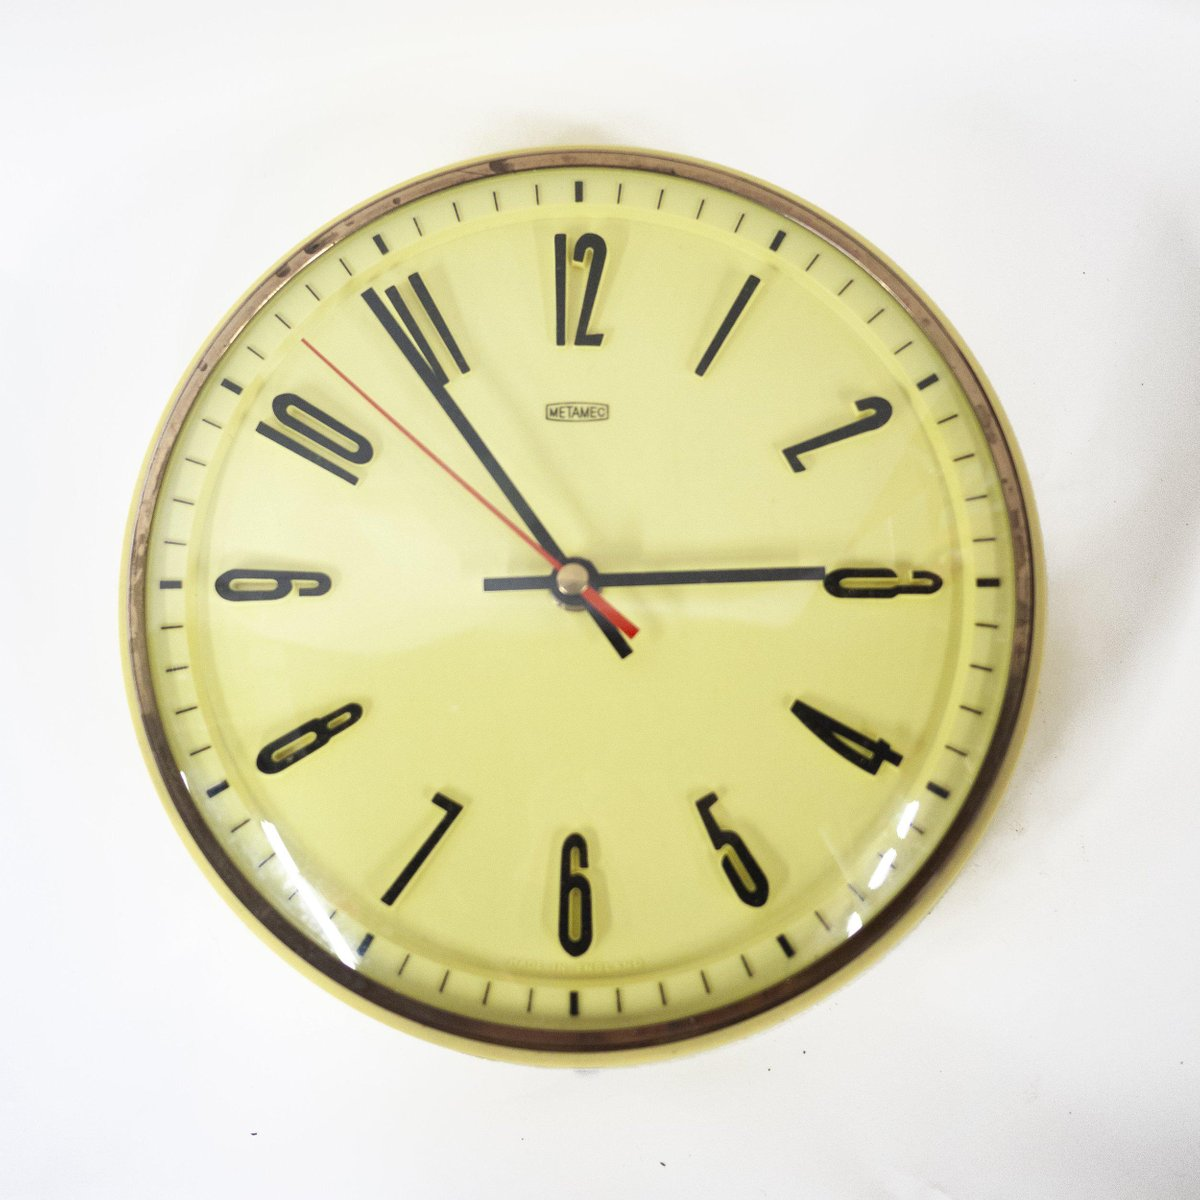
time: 2:53
